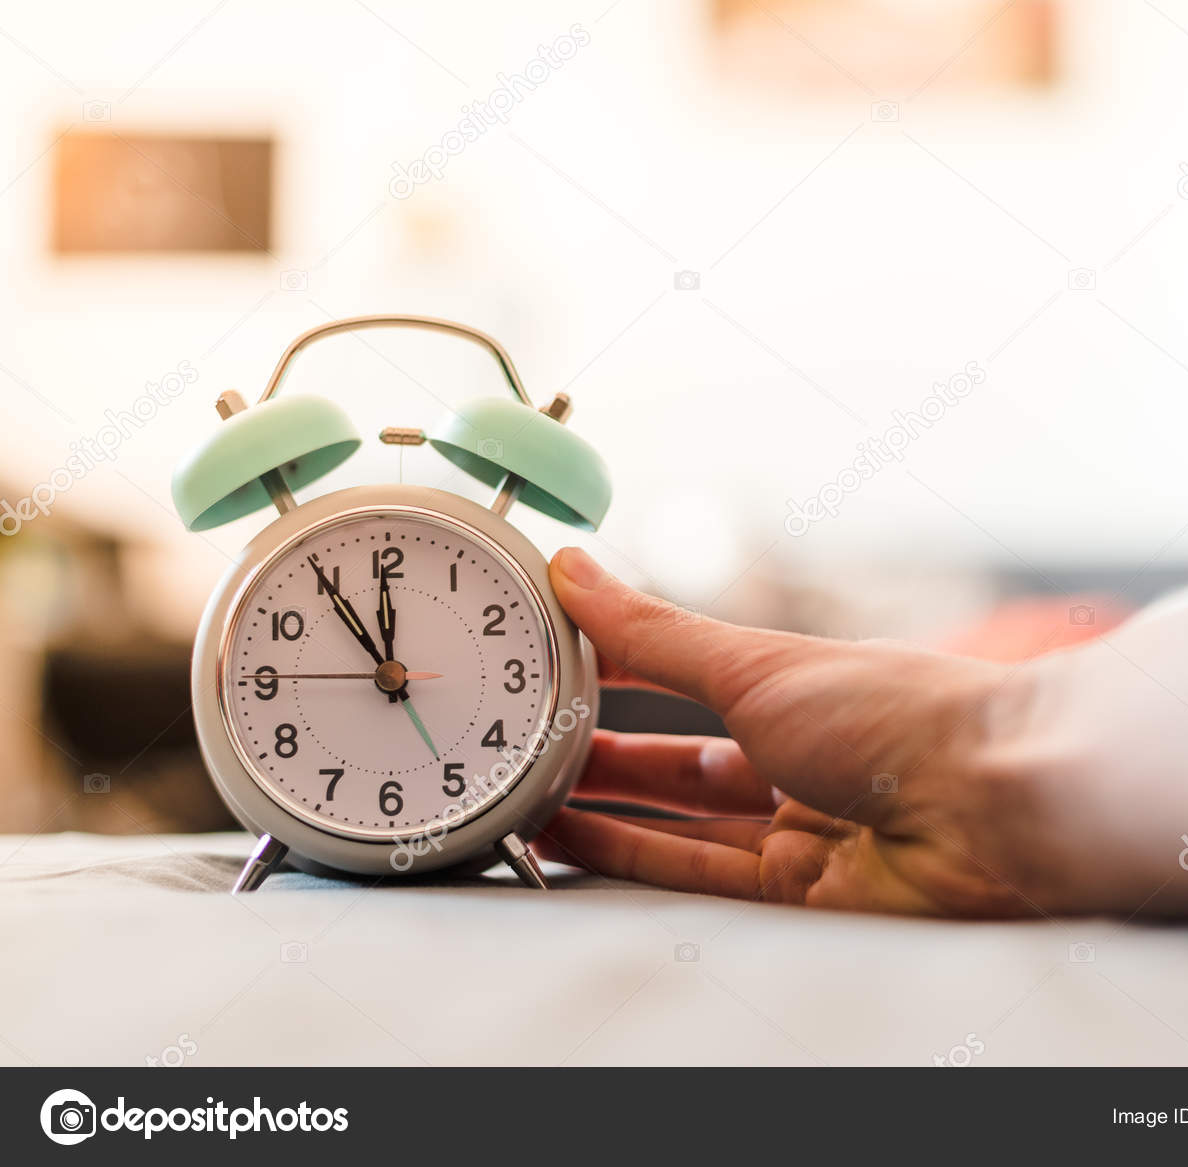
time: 11:54
